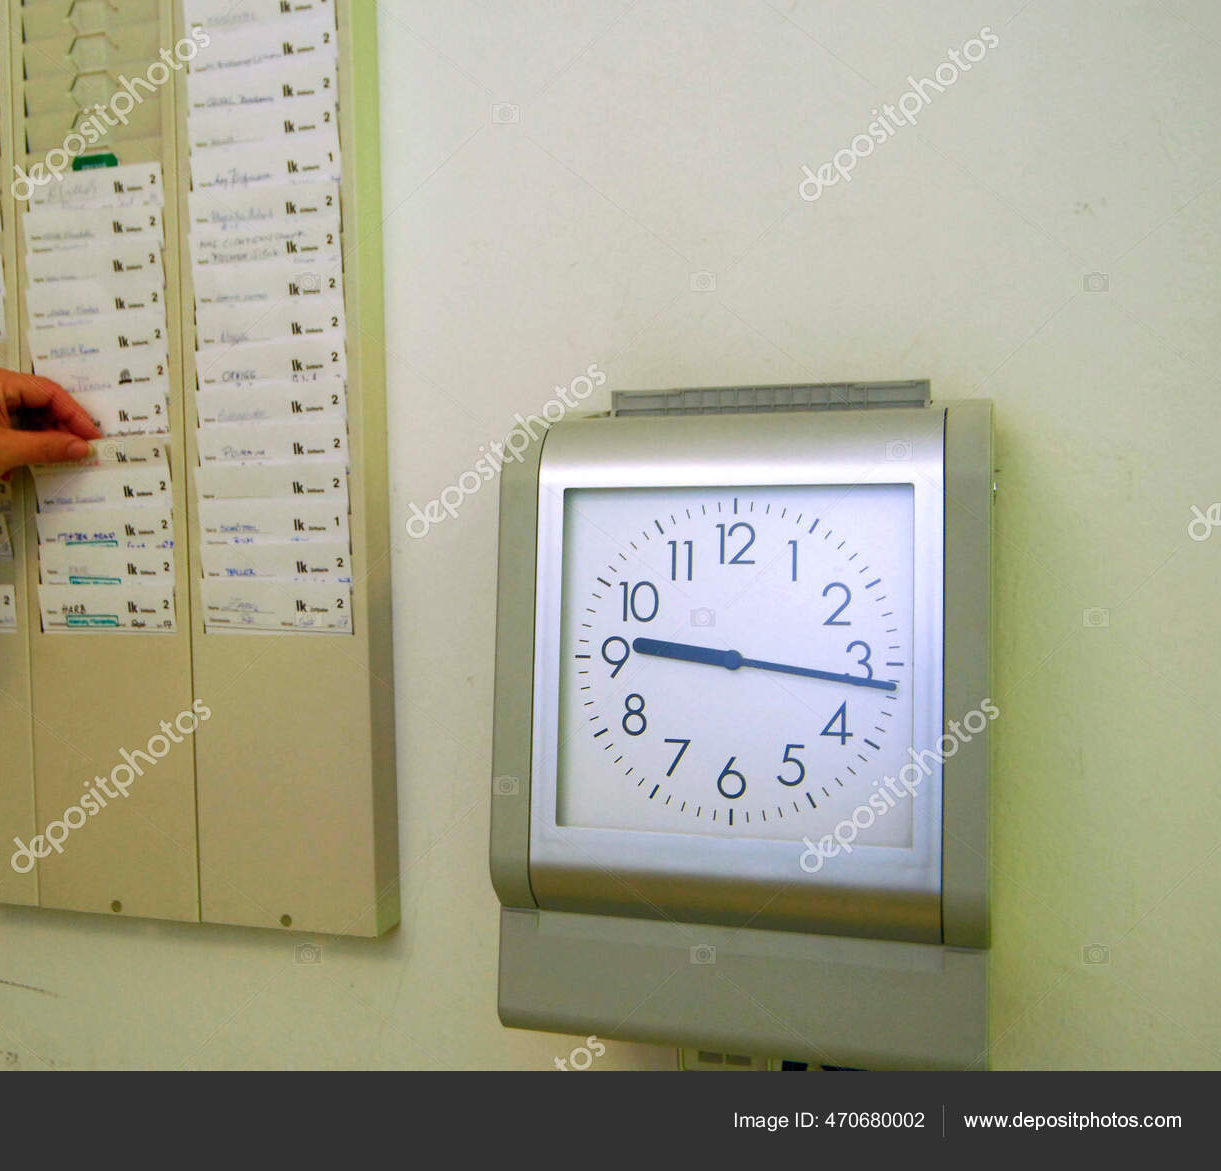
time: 9:16
